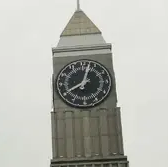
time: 8:02
